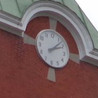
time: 2:07
